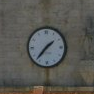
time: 1:36
